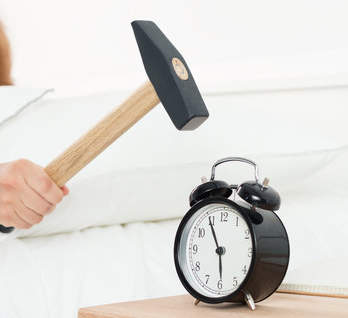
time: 5:55
